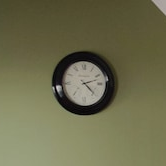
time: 2:22
